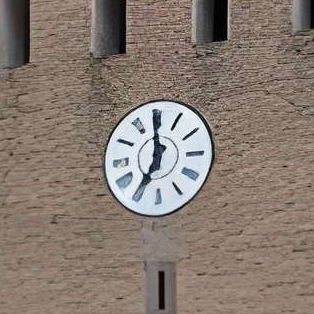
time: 6:59
